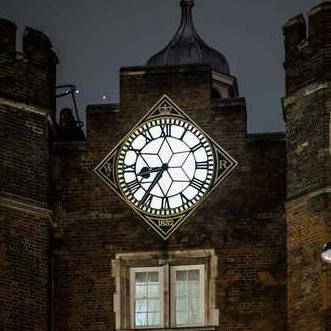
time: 8:35
